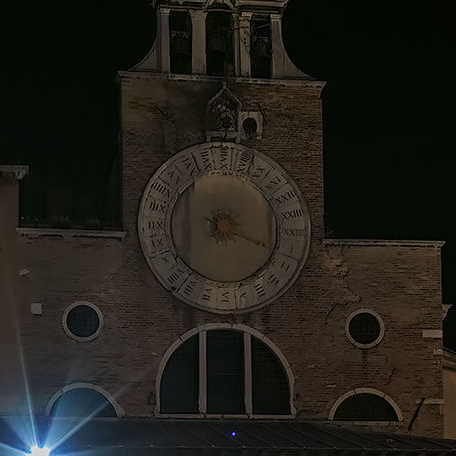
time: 7:18
